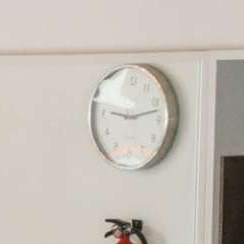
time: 9:12
